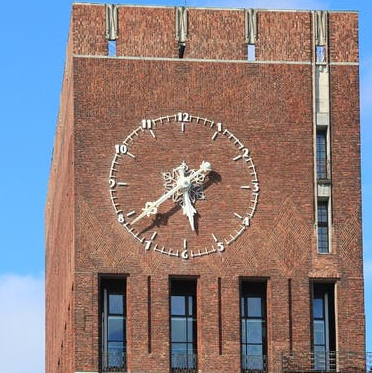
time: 5:38
